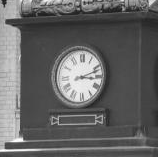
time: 3:11
